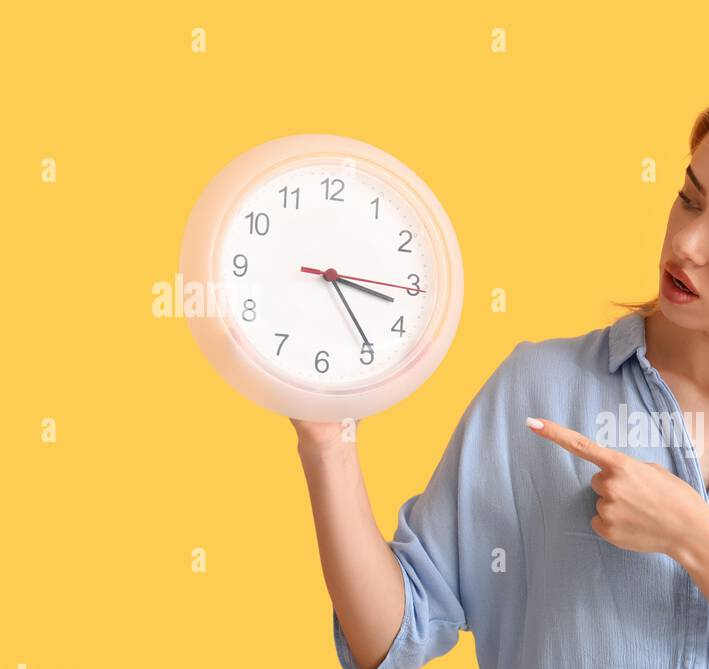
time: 3:24
